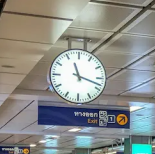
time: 11:18
